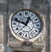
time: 12:48
